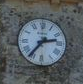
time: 2:36
